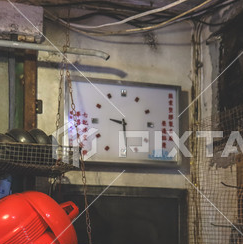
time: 9:28
